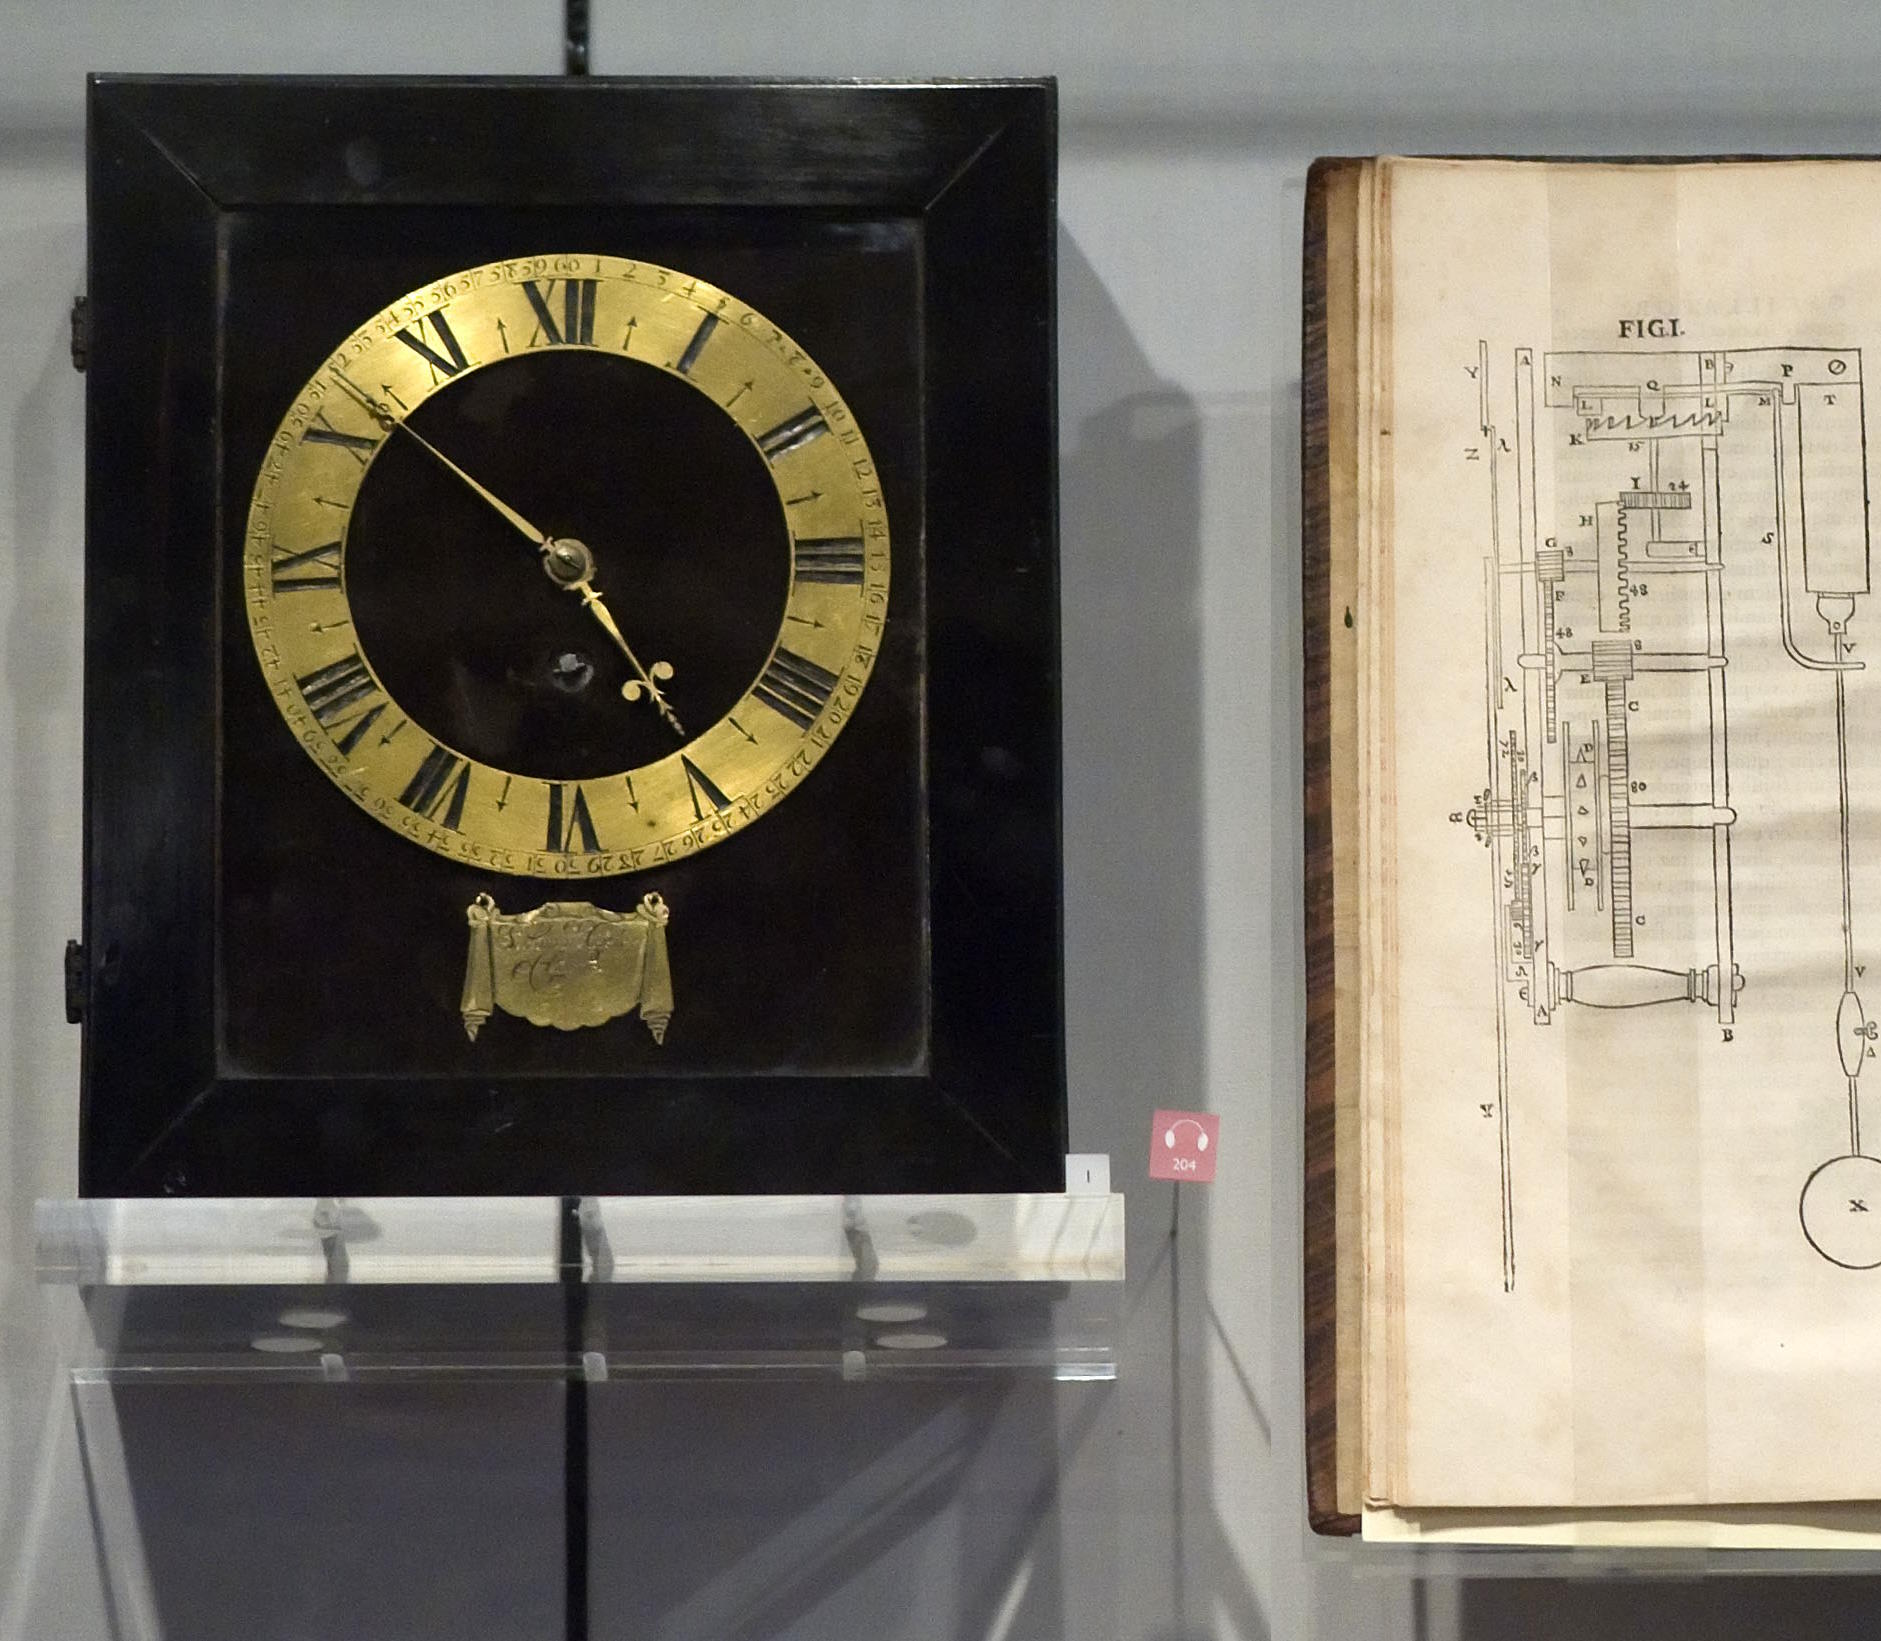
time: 4:52
